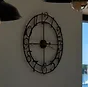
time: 5:59
